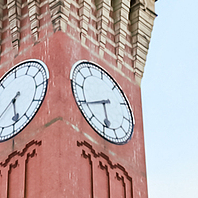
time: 5:40
